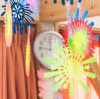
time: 11:46
